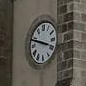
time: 3:48
